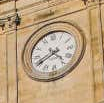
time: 4:40
